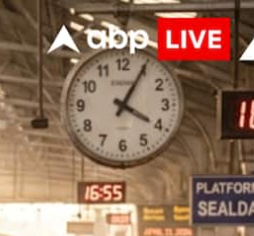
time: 4:04
